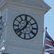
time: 12:37
